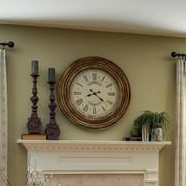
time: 8:21
